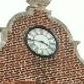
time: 3:45
